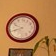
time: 9:41
